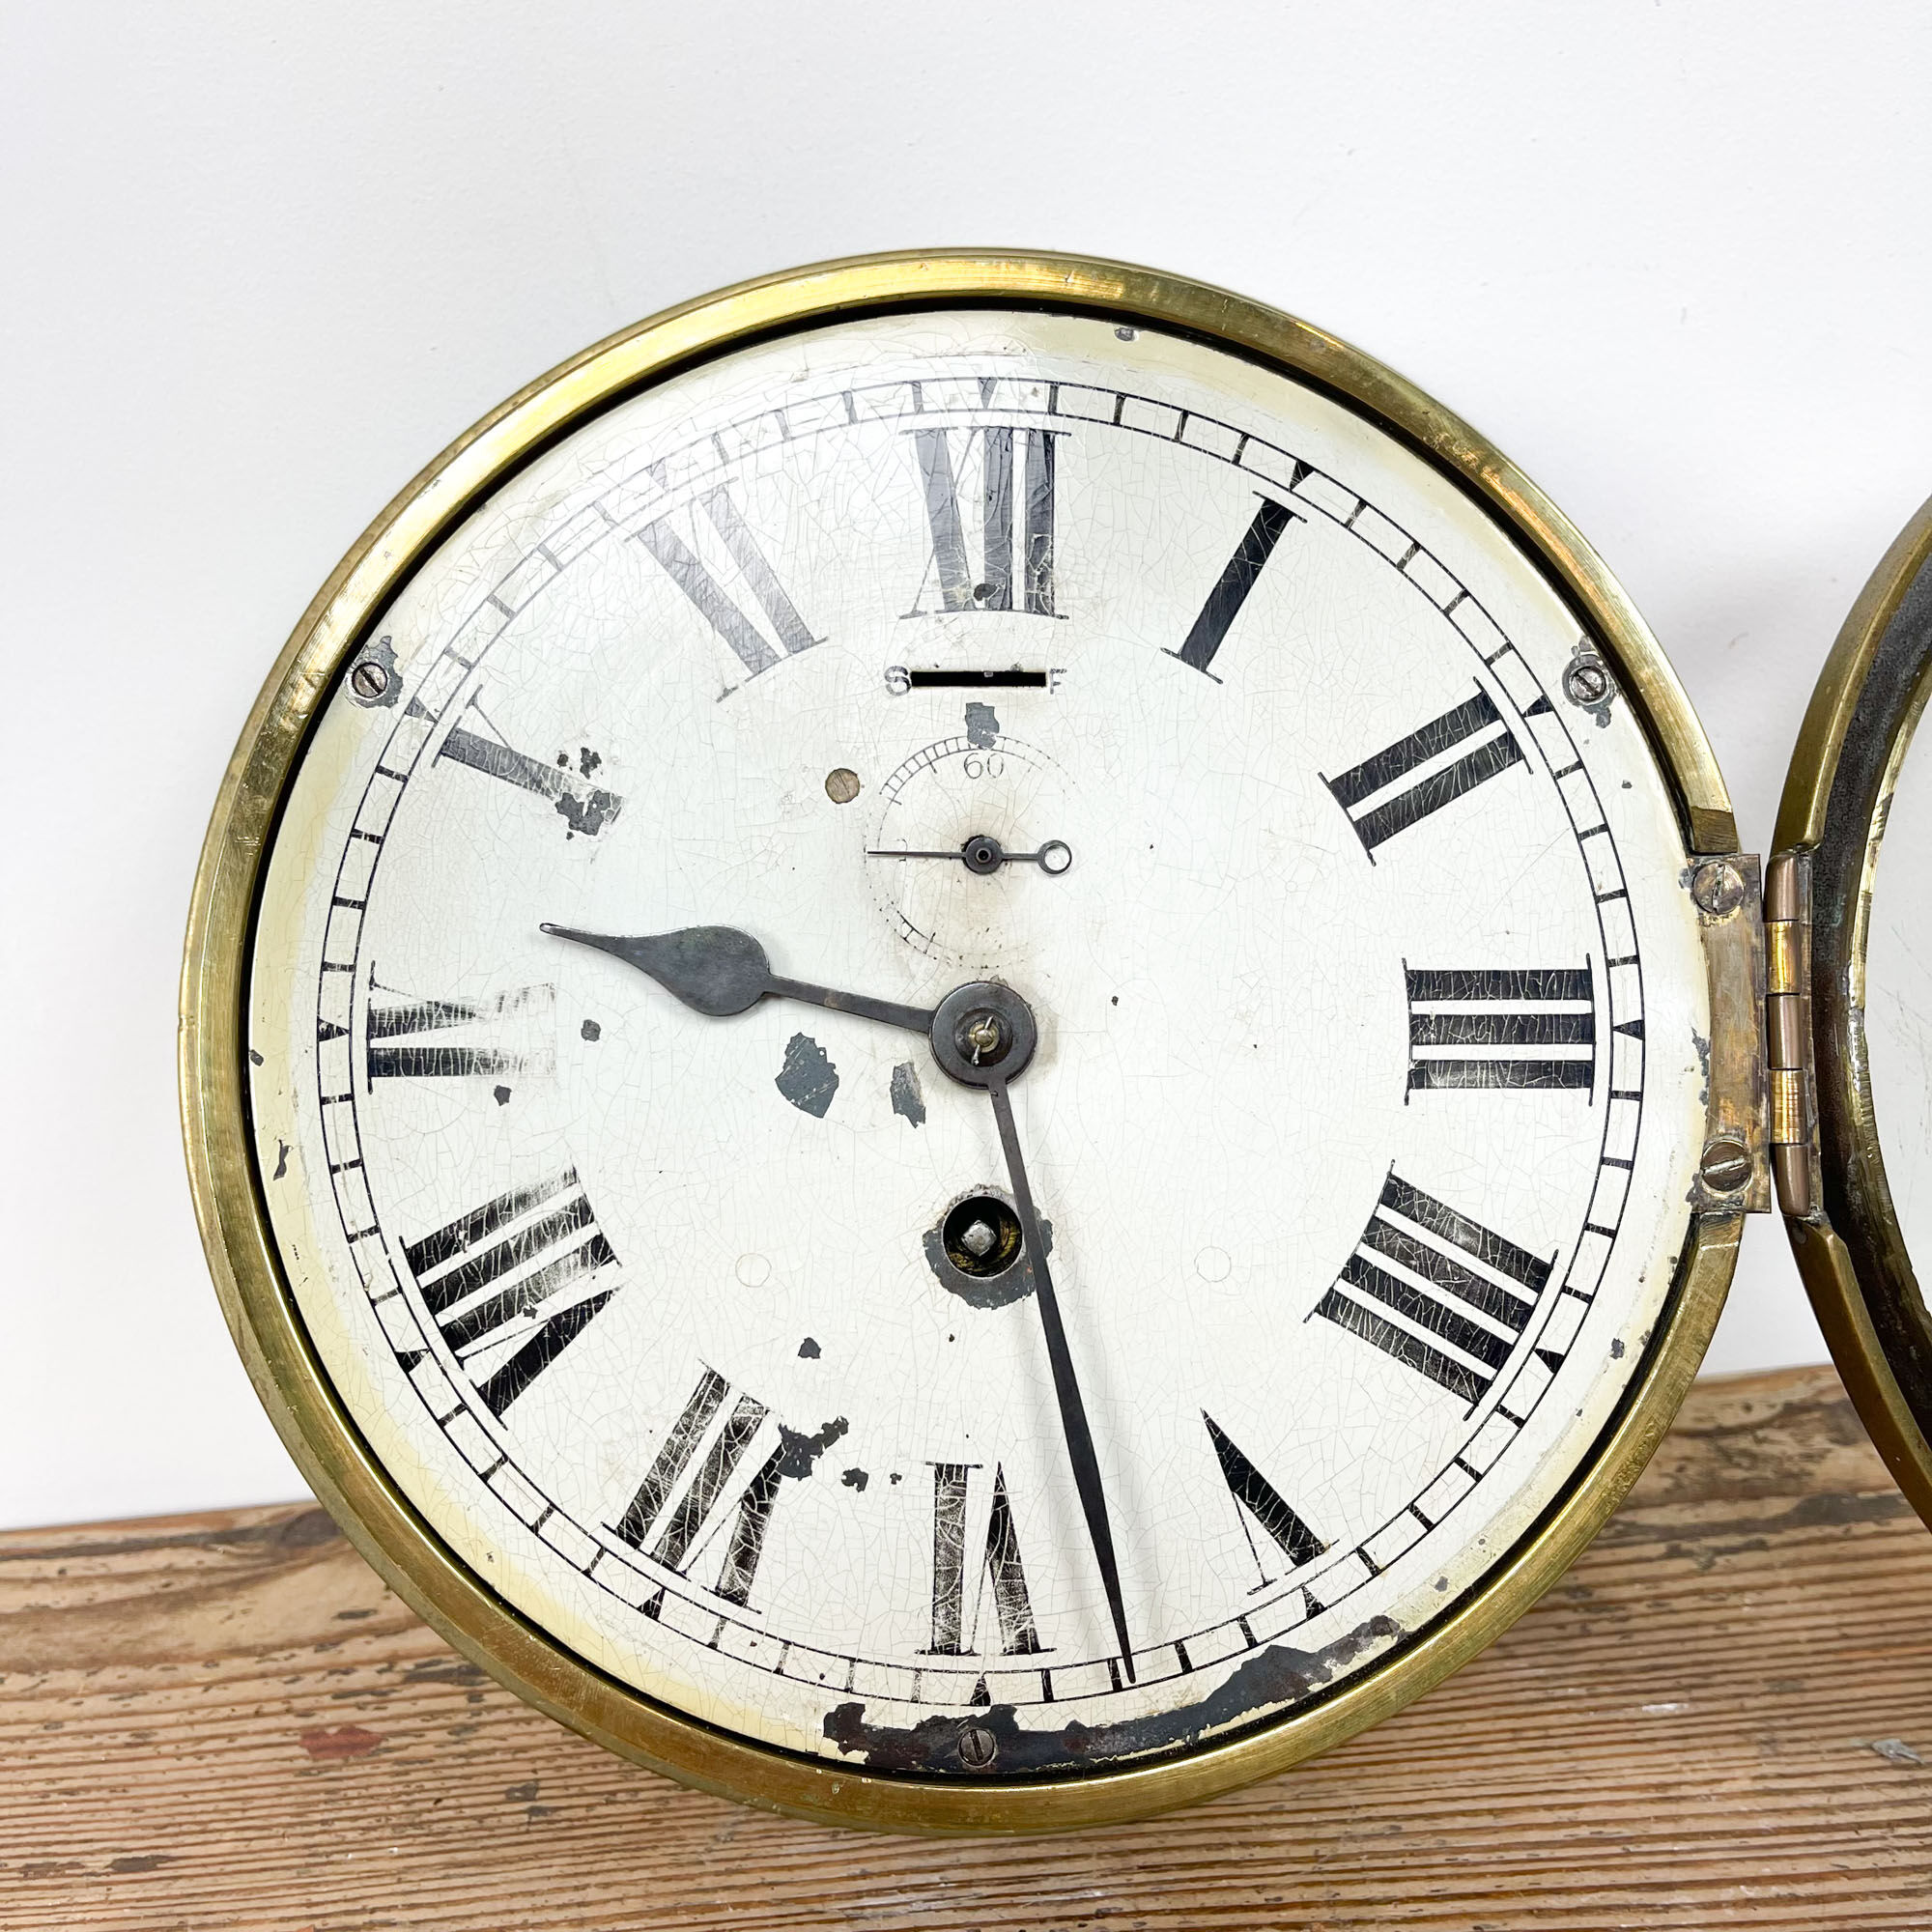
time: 9:27
